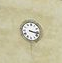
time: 3:16
